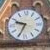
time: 9:34
